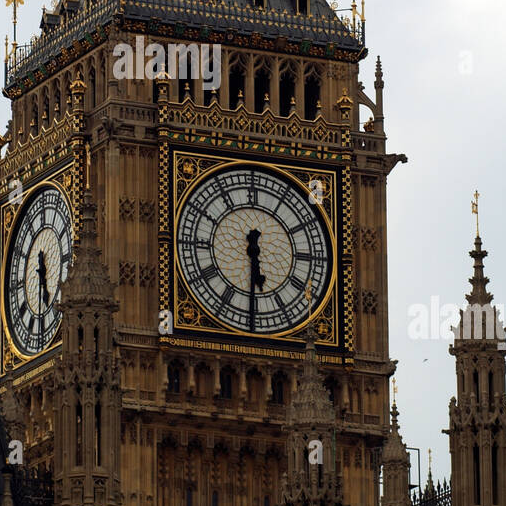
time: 5:30
